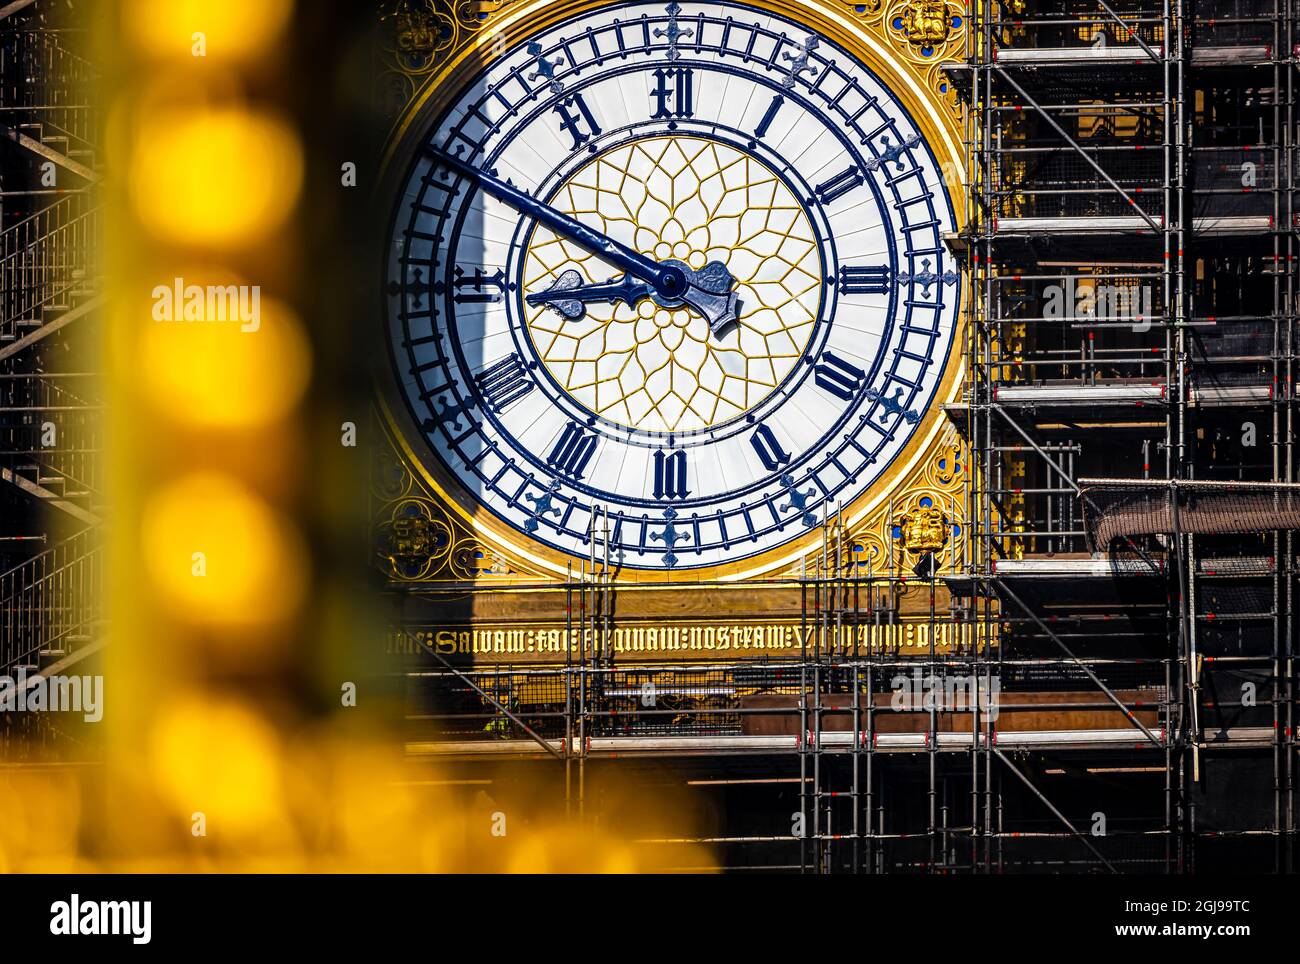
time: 8:49
